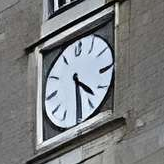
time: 4:29
